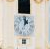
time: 1:01
